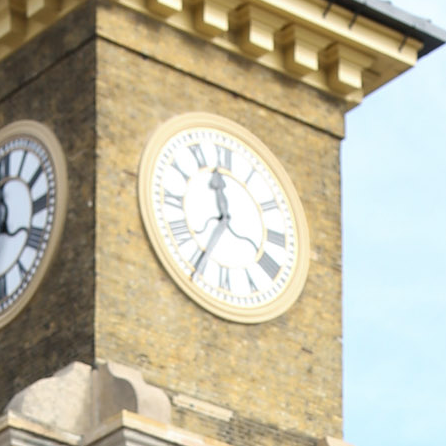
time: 11:35
